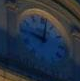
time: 10:02
